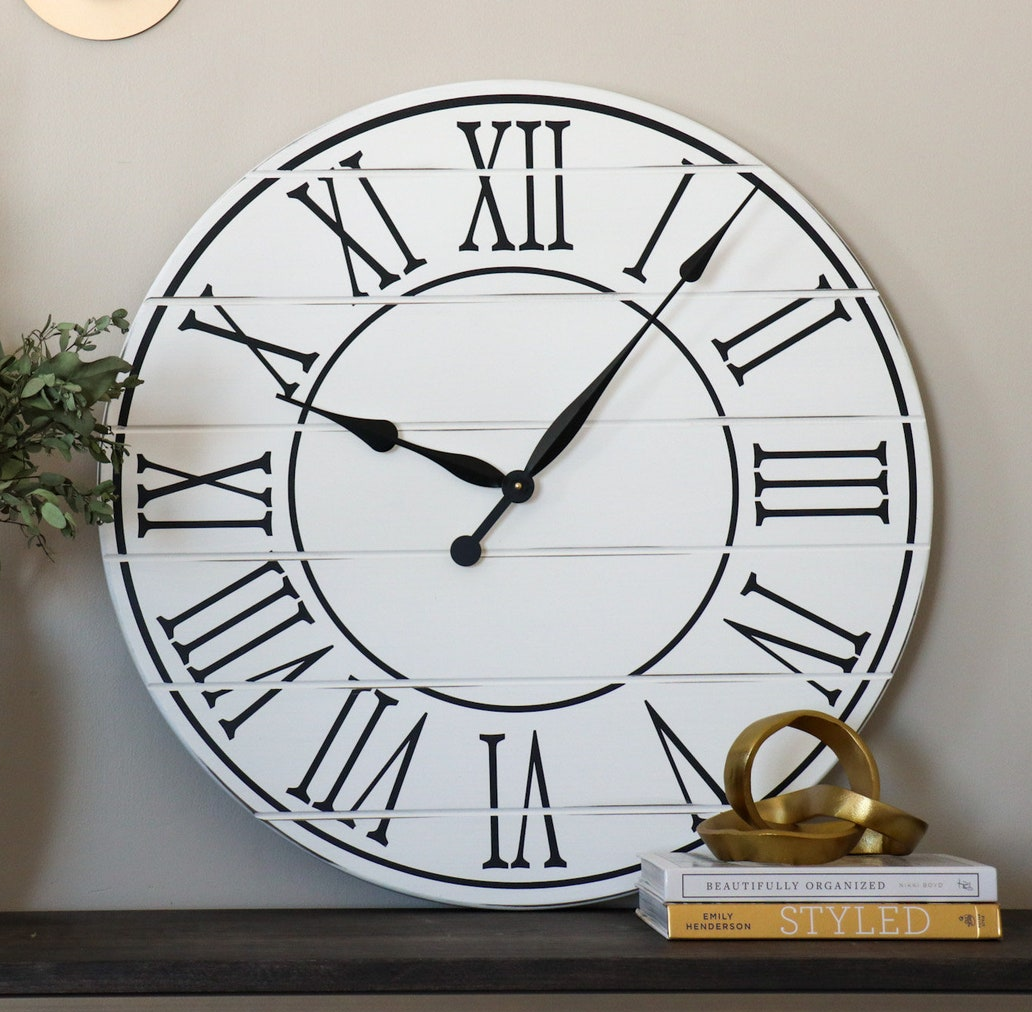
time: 10:06
